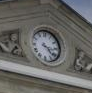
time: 3:22
